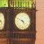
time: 4:49
